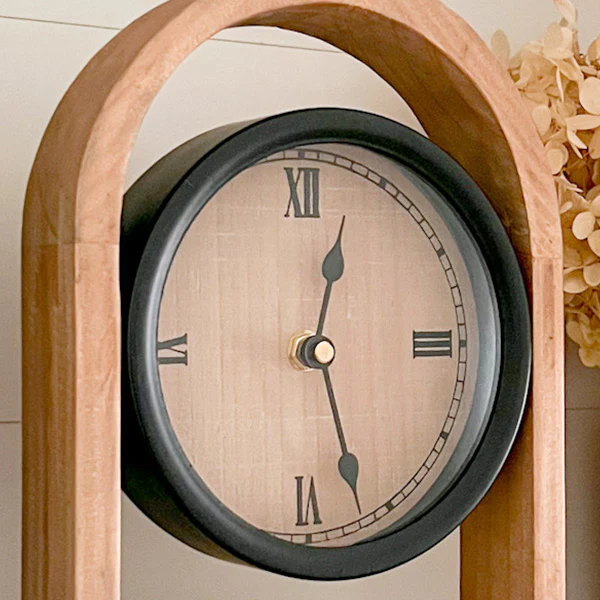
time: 12:26
